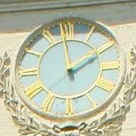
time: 1:58
